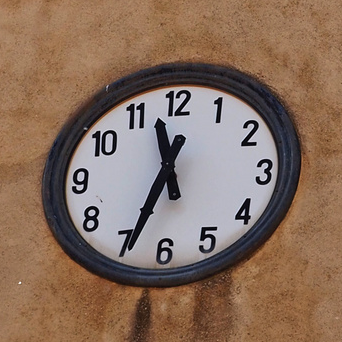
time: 11:33
